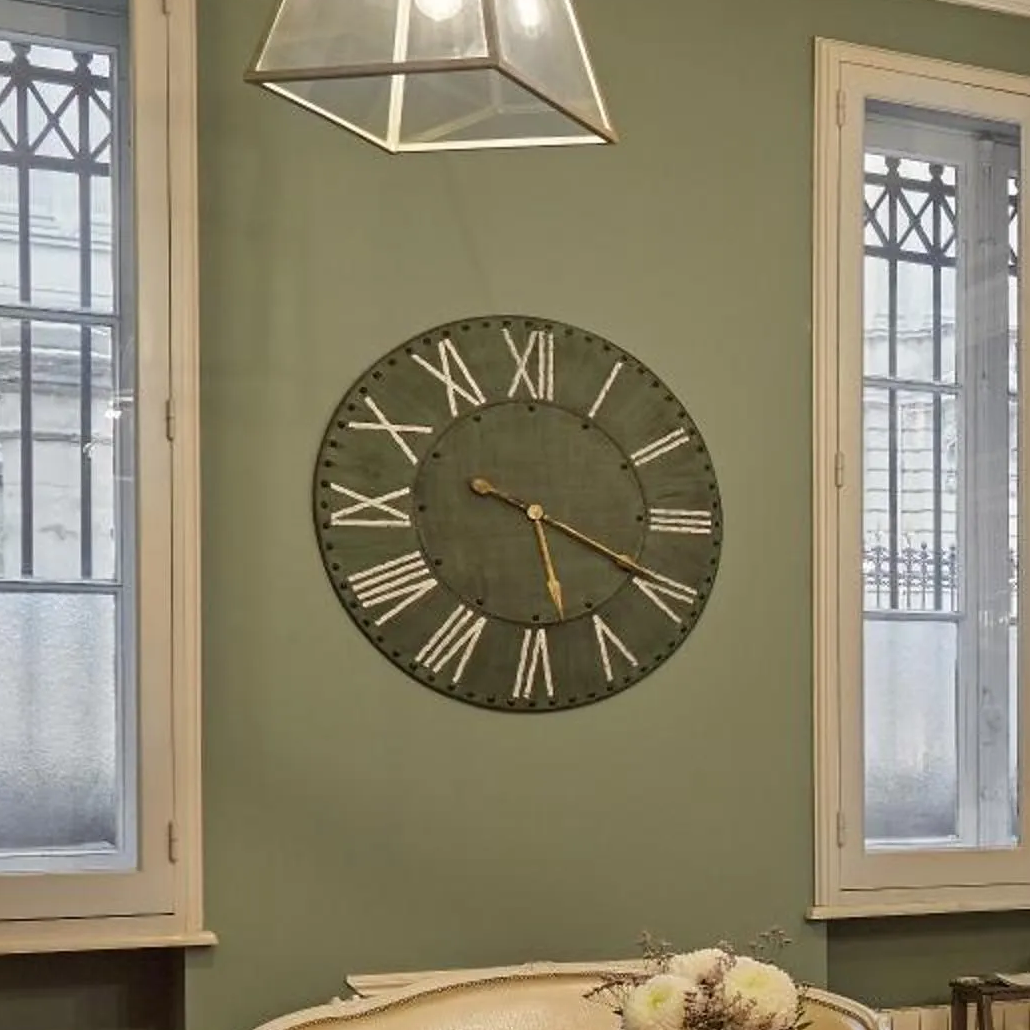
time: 5:19
